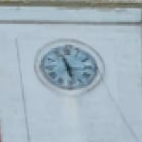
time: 11:28
